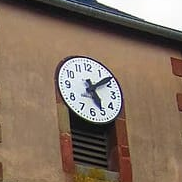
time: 5:08
